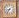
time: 8:36
